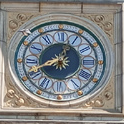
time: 12:41
